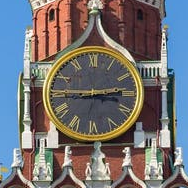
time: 2:45
